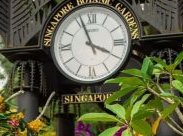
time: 3:56
